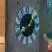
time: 12:40
